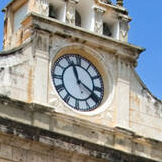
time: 11:18
